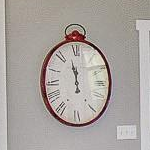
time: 11:57
